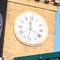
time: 11:32
